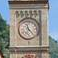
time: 11:23
